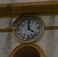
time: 4:01
